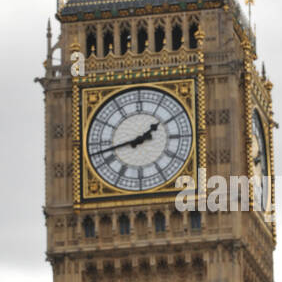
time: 1:42
